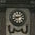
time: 8:11
